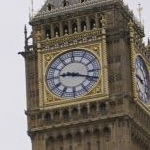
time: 9:18
